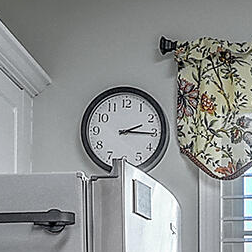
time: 2:15
